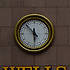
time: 5:53
